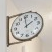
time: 1:59
